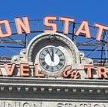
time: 11:55
